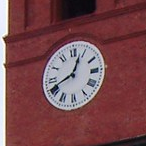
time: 12:41
